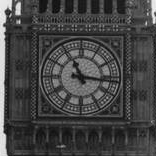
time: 11:16
